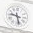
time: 9:28
